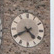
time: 4:40
